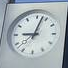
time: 9:02
